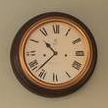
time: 10:37
